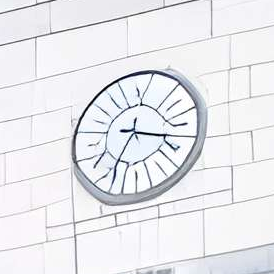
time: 3:34
